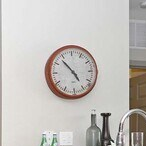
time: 4:53
